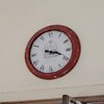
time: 3:18
